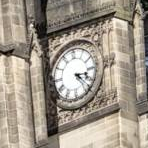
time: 3:22
